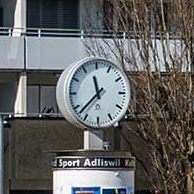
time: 11:37
